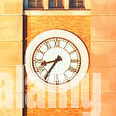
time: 8:35
